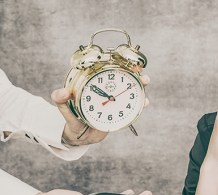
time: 9:51
